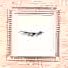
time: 2:46
